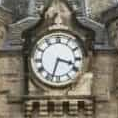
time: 3:33
